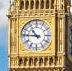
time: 10:45
